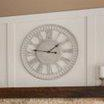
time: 1:46
